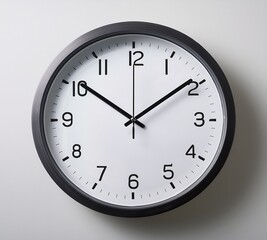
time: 10:09
